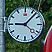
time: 9:07
